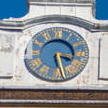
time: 3:27
